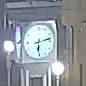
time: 6:12
